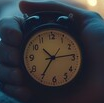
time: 10:14
